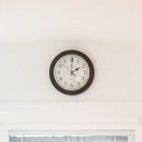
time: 2:00
